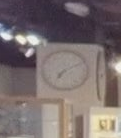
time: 7:09
